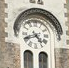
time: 4:41
